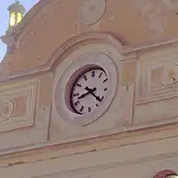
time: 8:21
